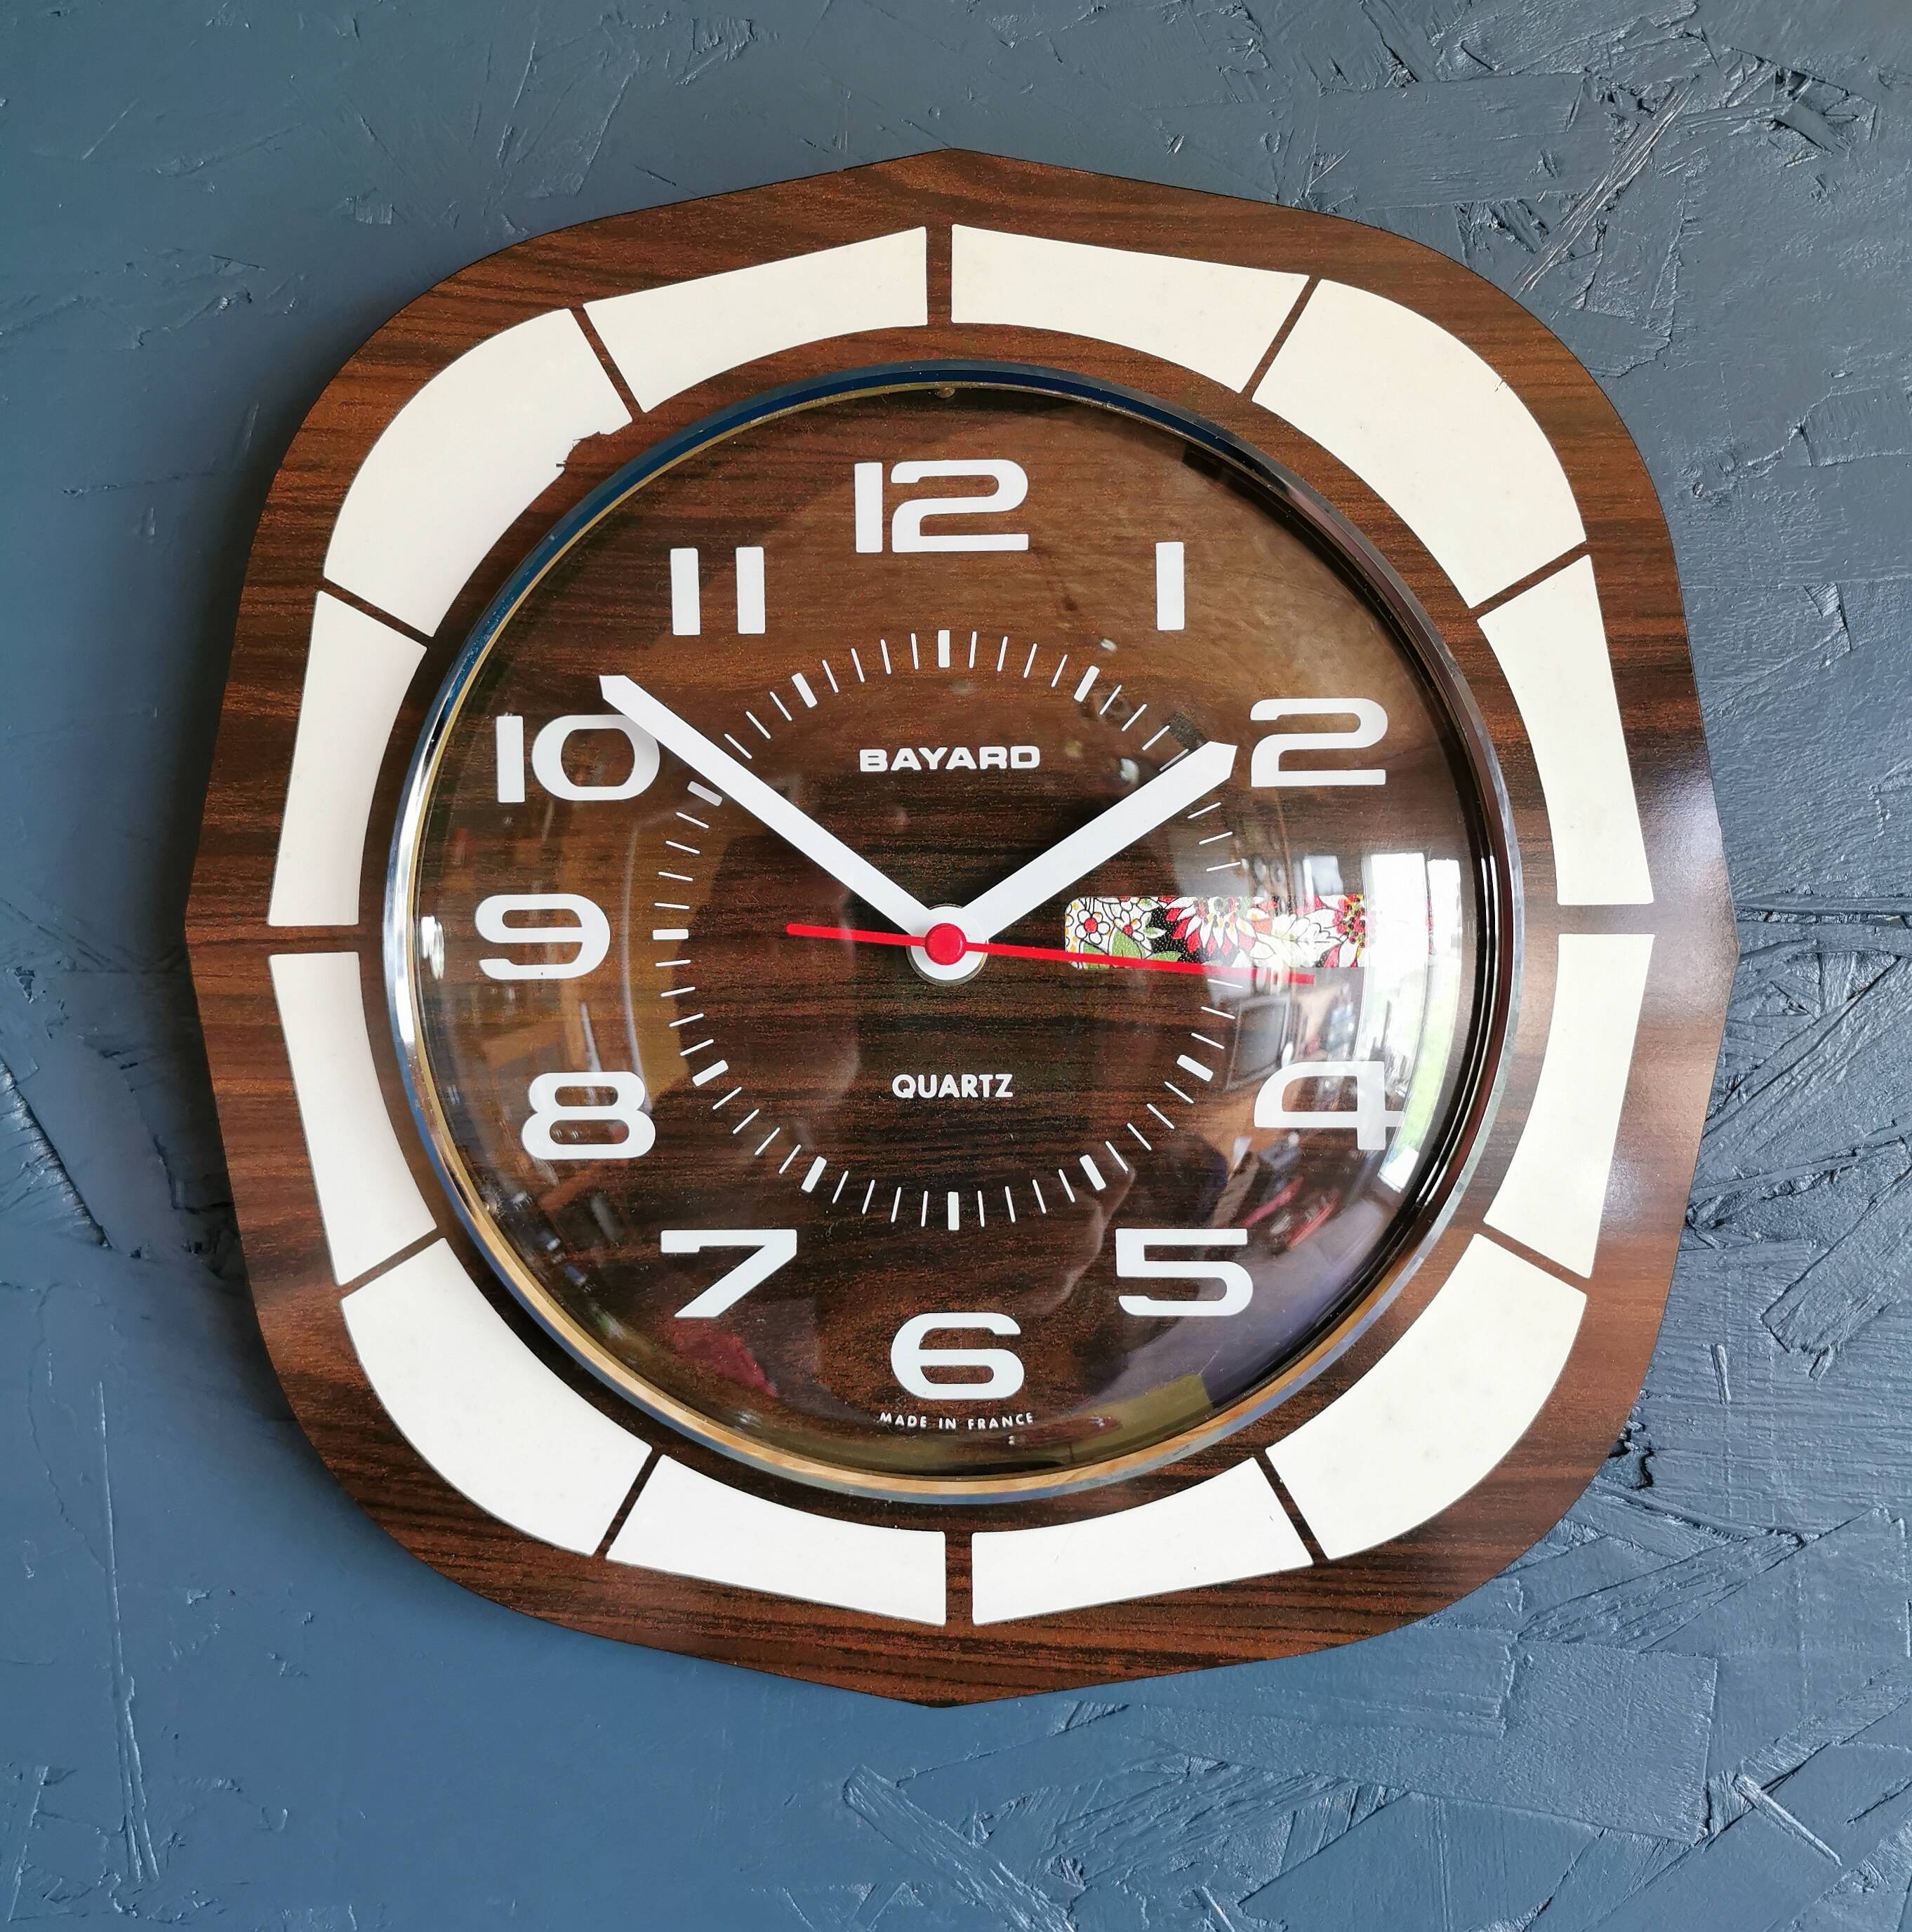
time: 1:51
